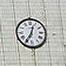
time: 12:35
